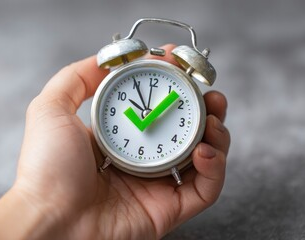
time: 9:55
